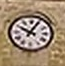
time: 10:04
